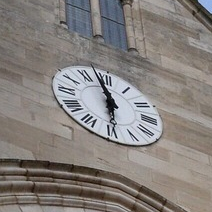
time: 5:57
